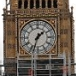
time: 1:33
